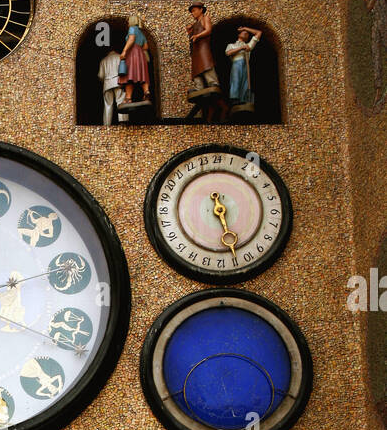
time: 5:26
